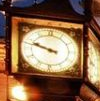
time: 9:48
